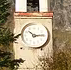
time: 10:13
